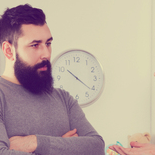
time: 10:21
